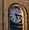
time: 5:15
